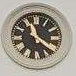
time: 11:21
